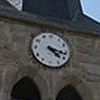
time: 4:16
